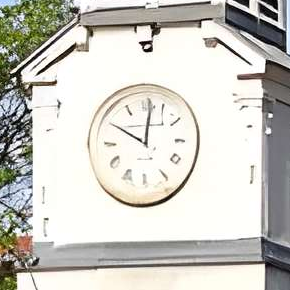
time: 10:01
